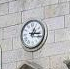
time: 1:16
